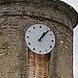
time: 1:06
